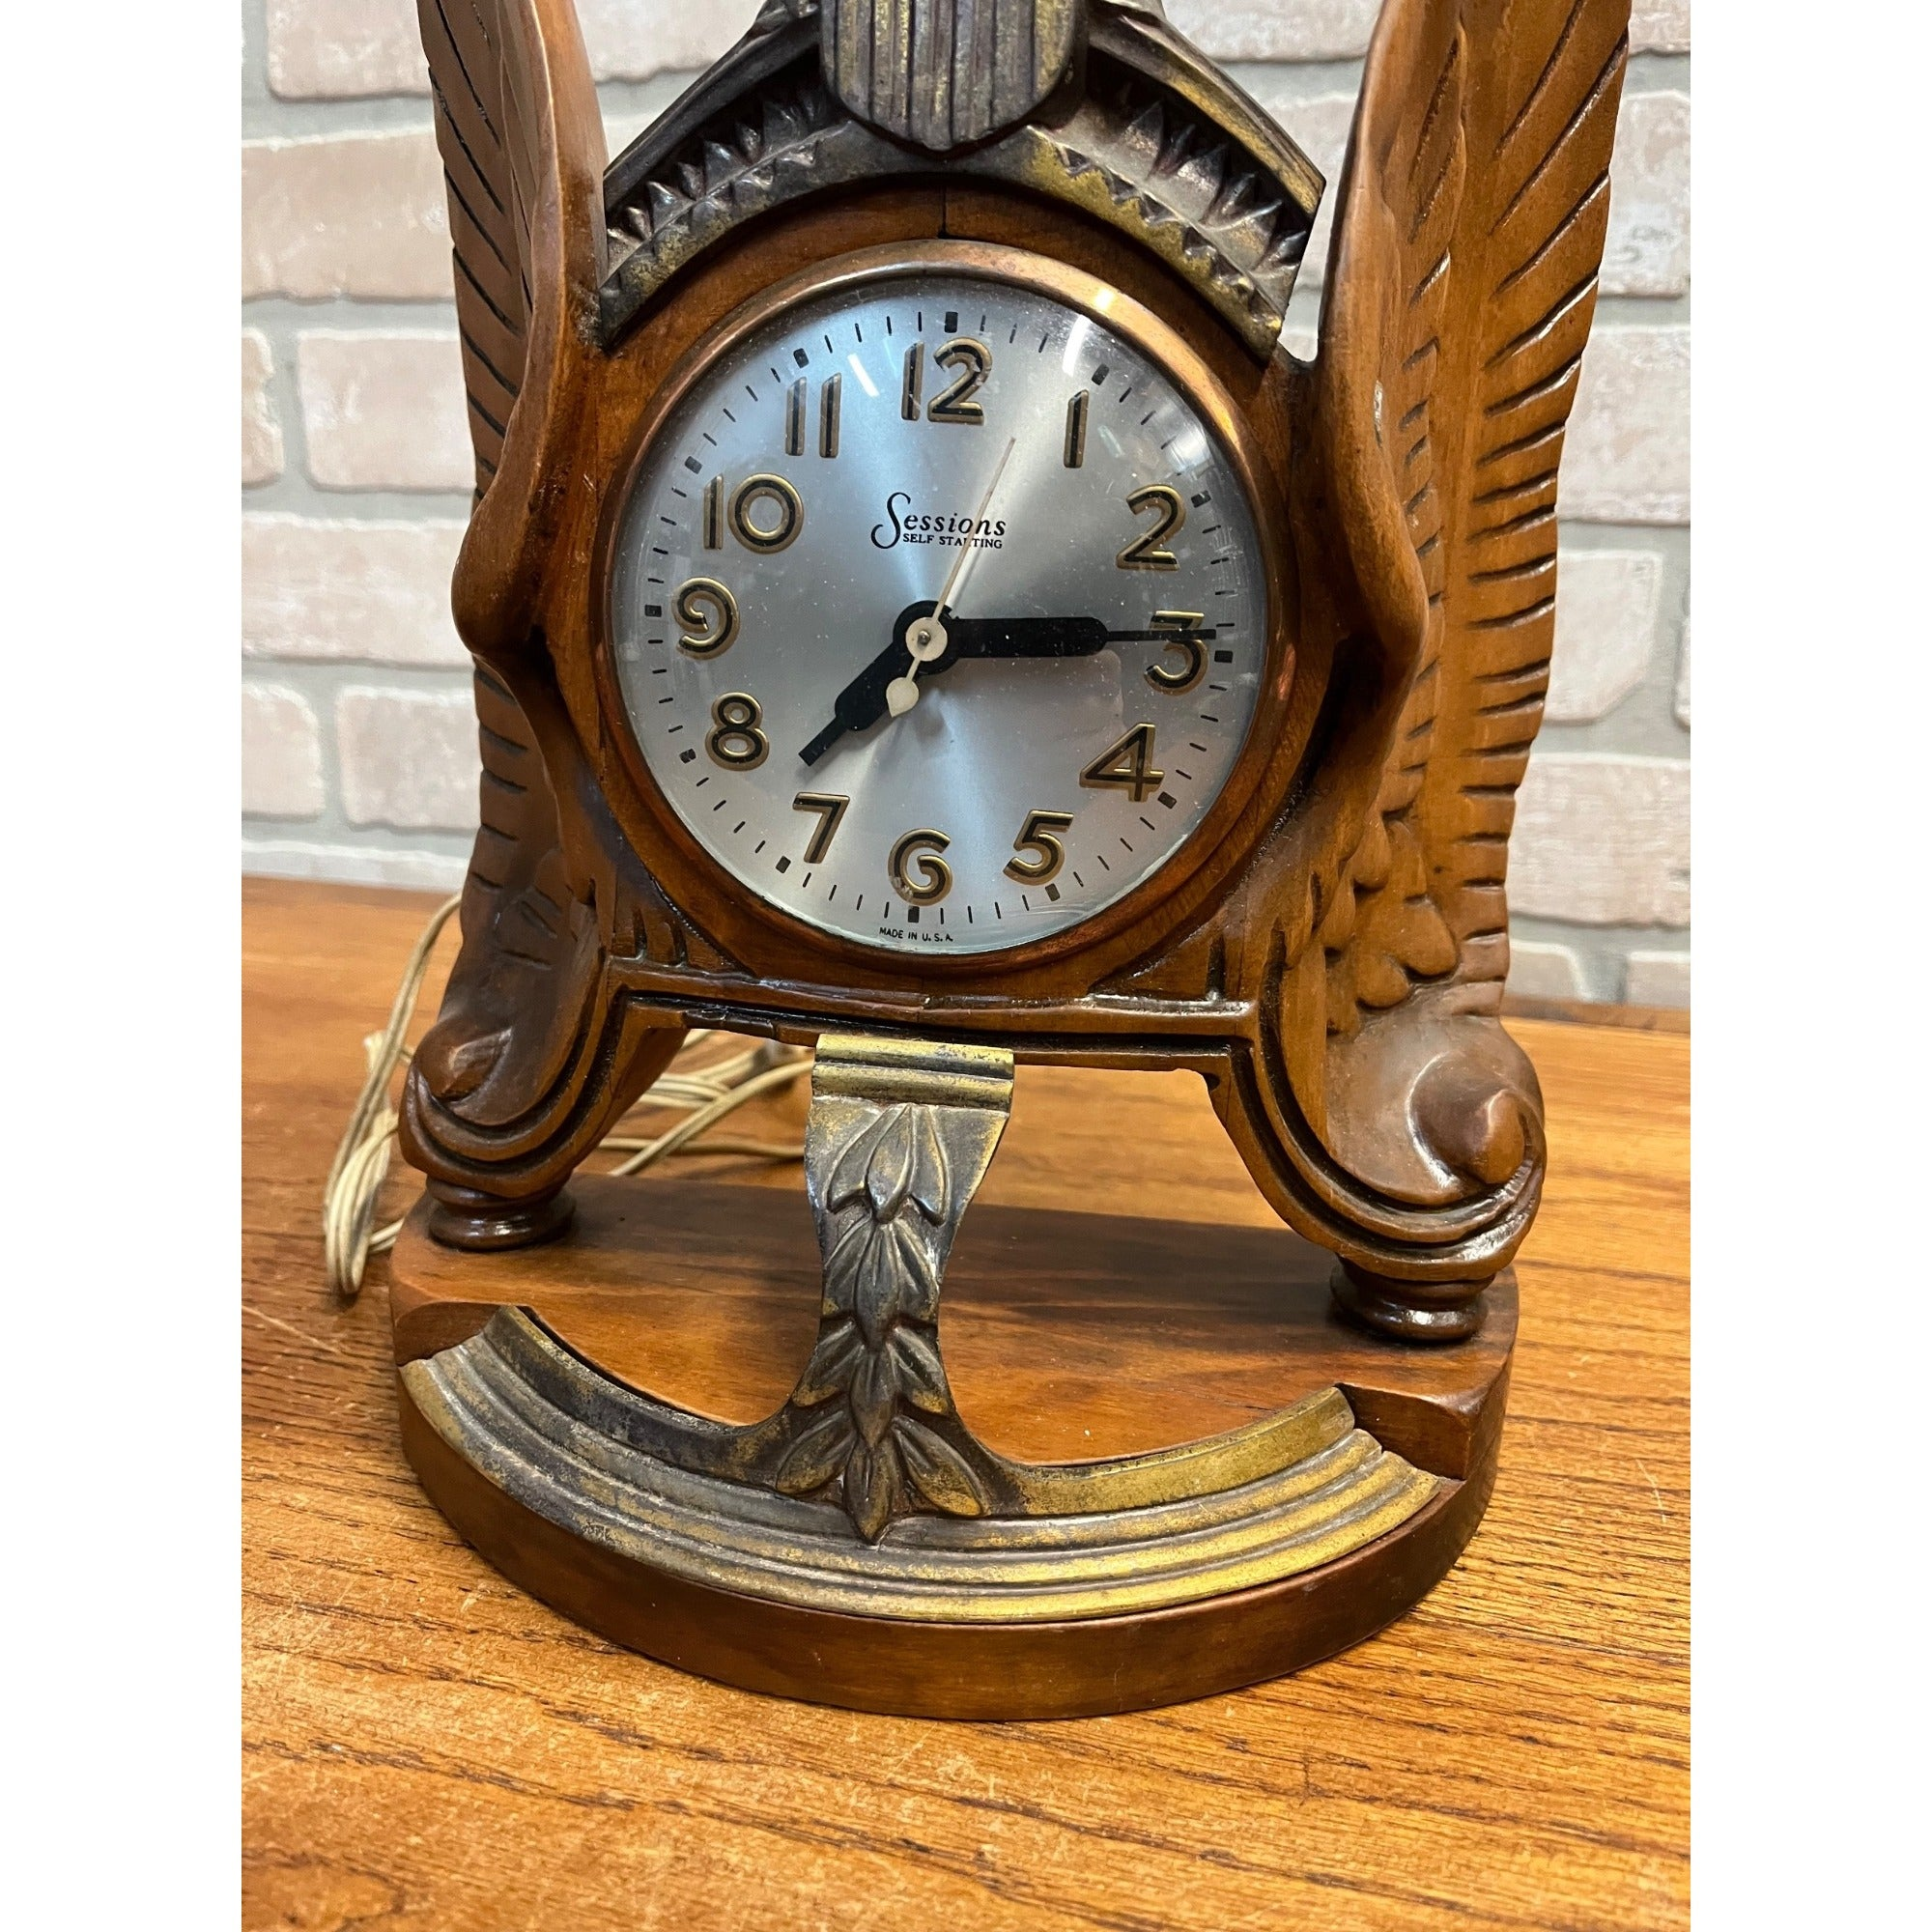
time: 7:14
